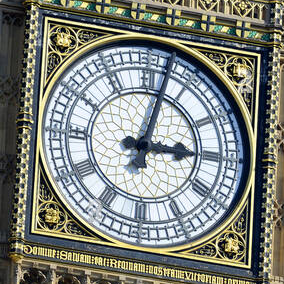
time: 3:02
